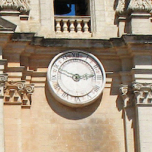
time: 2:48
